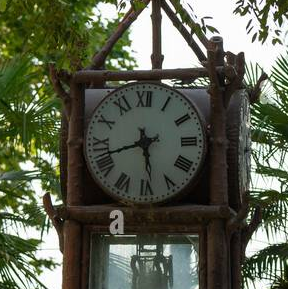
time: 5:42
